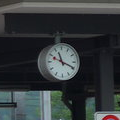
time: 11:19
